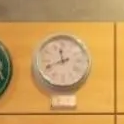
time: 11:41
